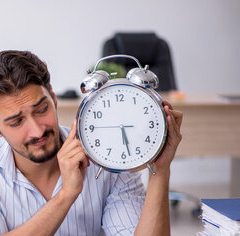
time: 5:28
